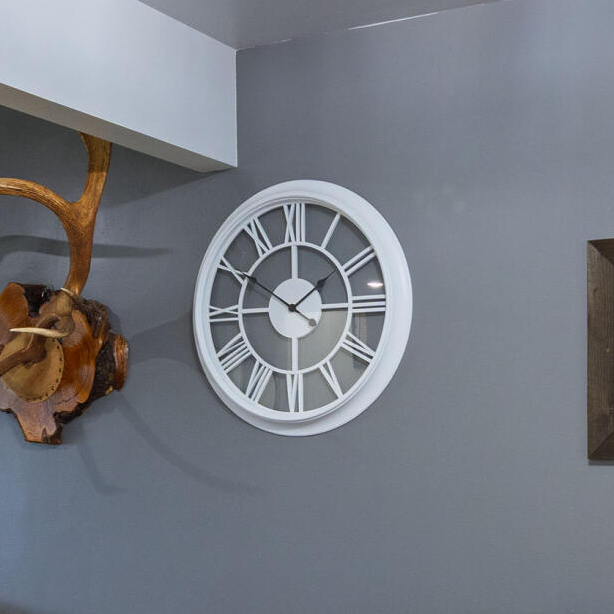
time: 1:50
